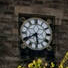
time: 5:40
